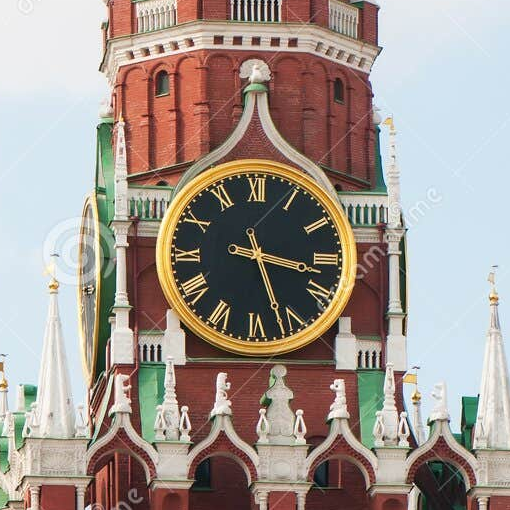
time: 3:27
